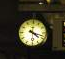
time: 4:18
